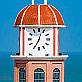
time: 12:34
